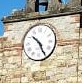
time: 10:25
